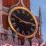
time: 2:48
